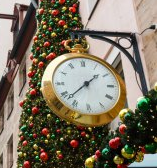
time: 1:37
